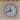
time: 11:41
